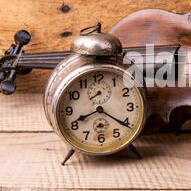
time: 8:20
